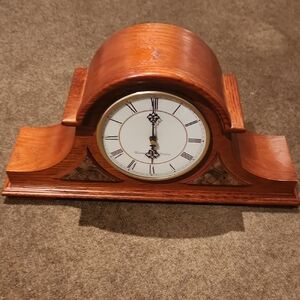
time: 6:00
